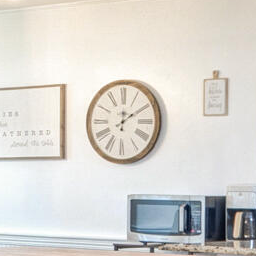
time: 12:09
